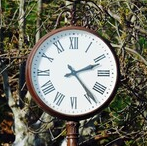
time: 2:23
